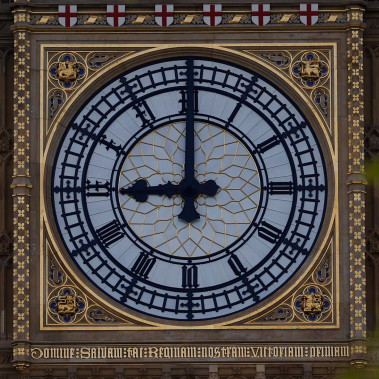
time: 8:59
